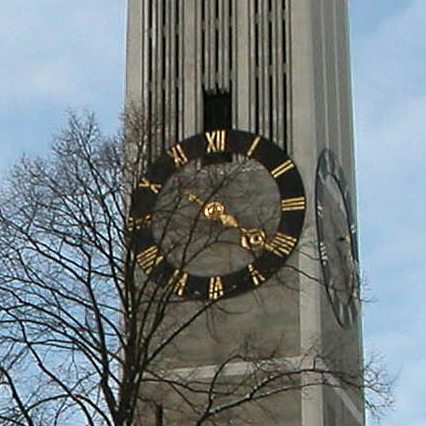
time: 4:35
